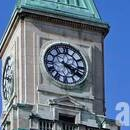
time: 4:17
